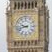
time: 9:42
